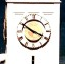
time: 3:50
